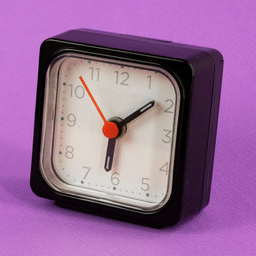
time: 6:08
